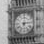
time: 3:01
